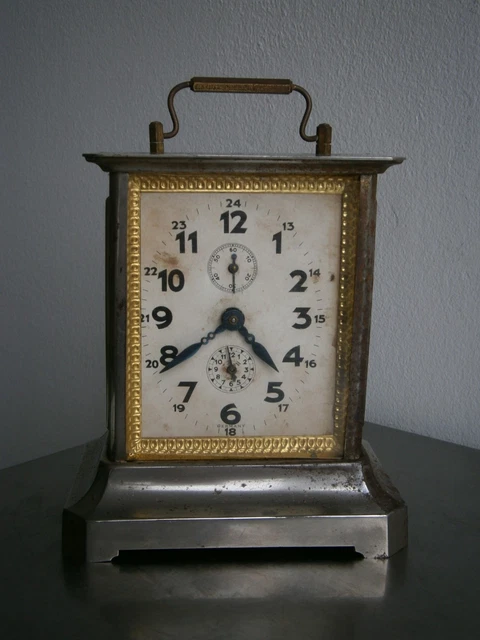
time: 4:39
